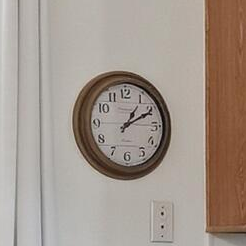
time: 1:10
